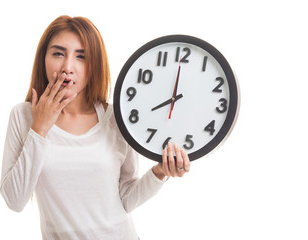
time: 7:59
